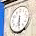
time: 6:29
